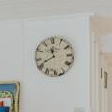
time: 11:40
